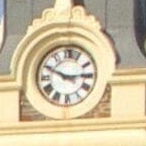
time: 2:49
